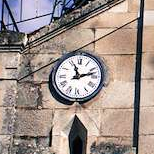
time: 11:12
